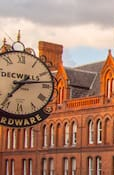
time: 7:13
